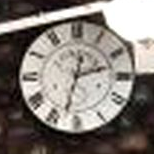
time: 2:32
